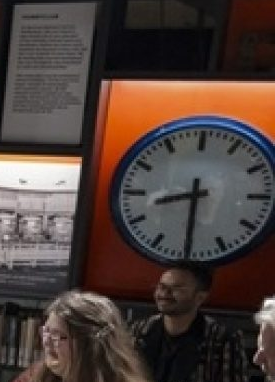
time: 8:30
